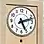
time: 5:12
